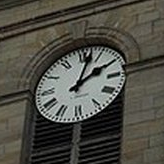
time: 2:02
